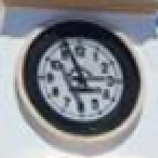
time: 2:56
